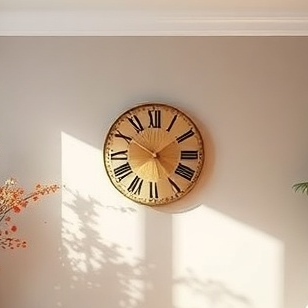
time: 1:50
